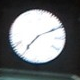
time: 7:10
